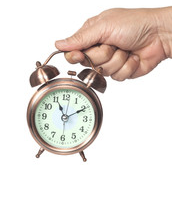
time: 11:10
